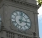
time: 3:02
